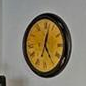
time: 5:02
